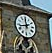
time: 11:42
